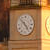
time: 4:52
